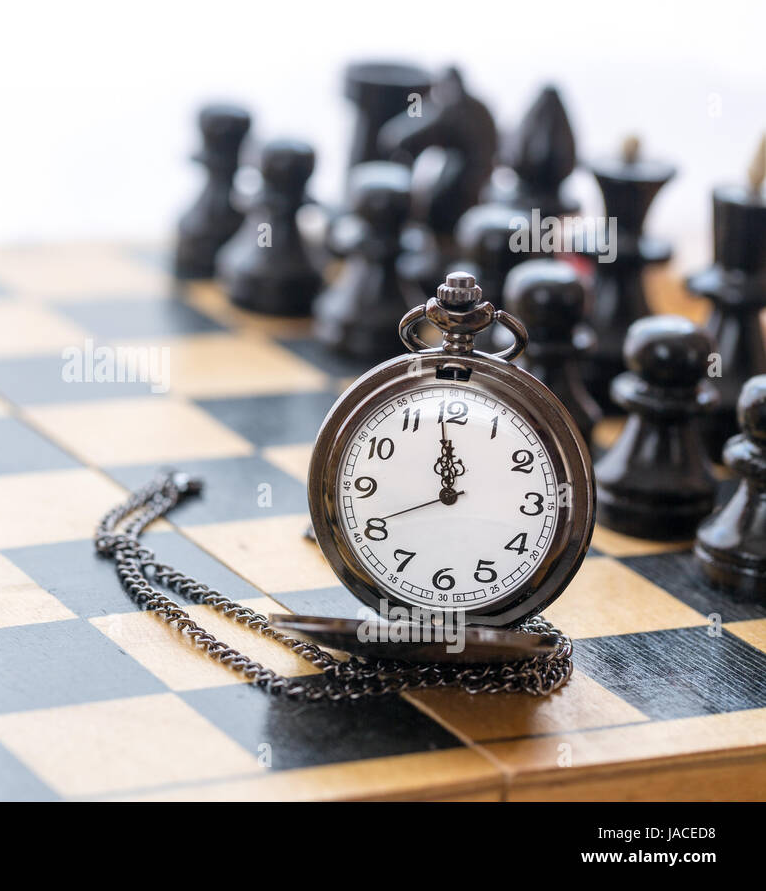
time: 11:58
